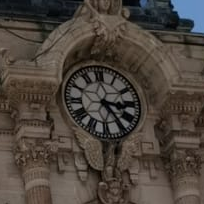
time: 3:24
